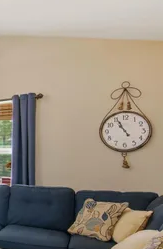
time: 10:55
